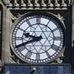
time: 9:41
